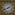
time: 1:41
